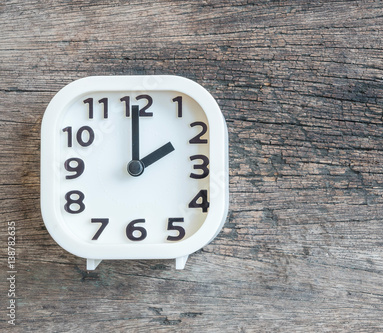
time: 1:59
